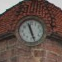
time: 11:26
